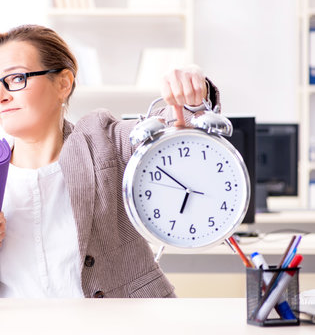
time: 6:52
